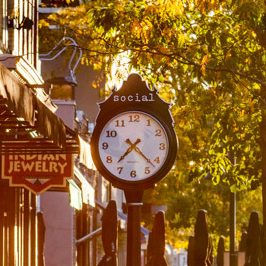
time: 7:22
